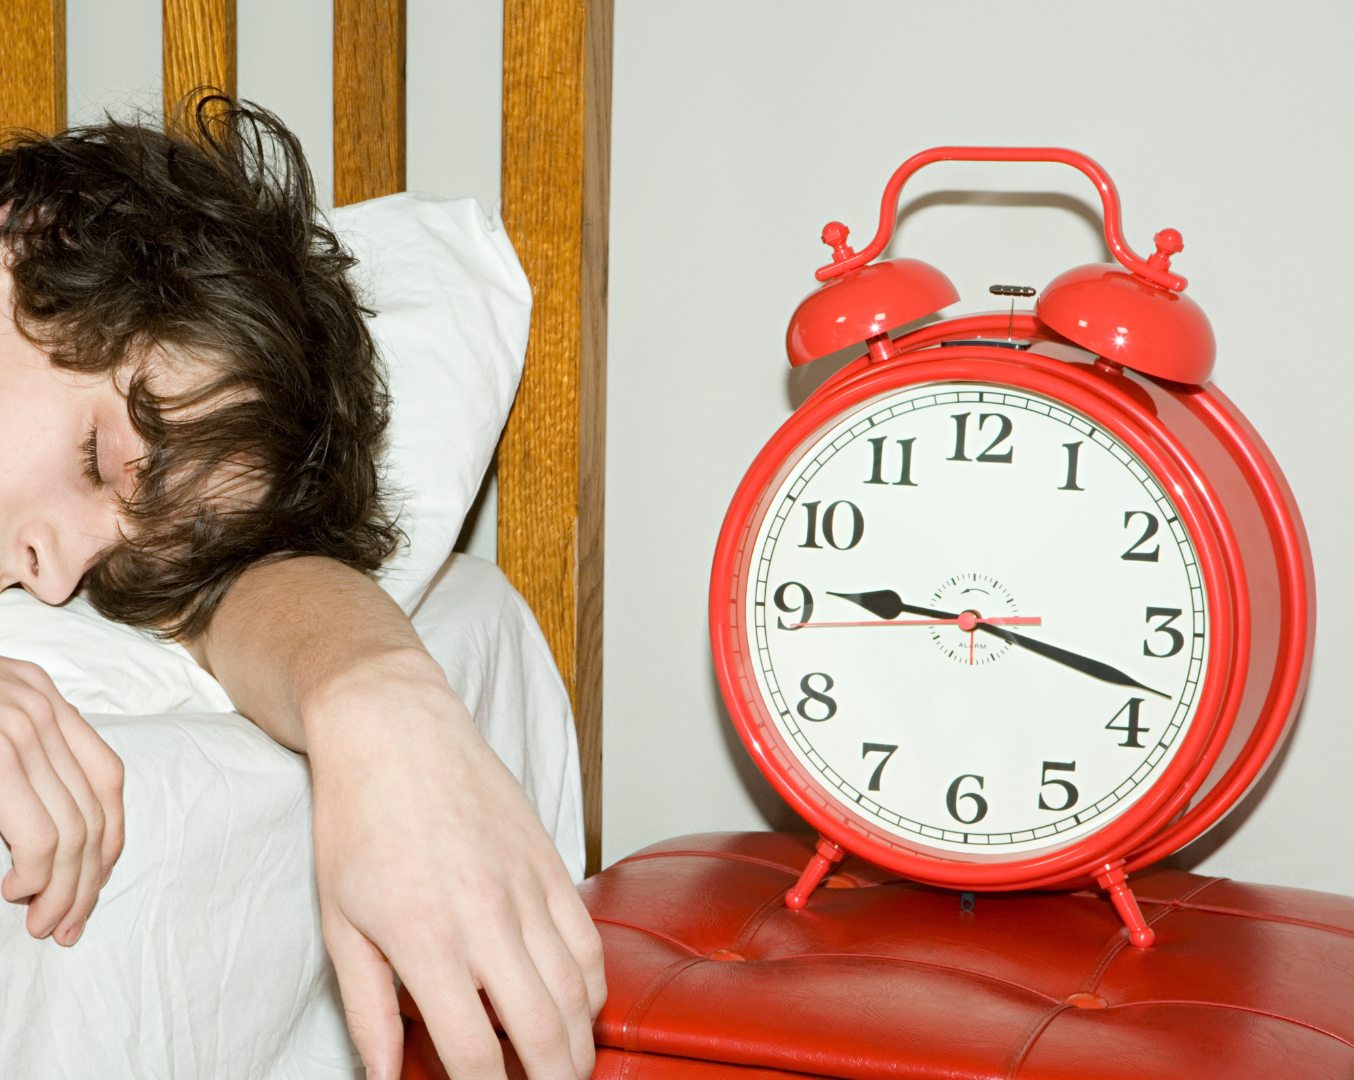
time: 9:17
